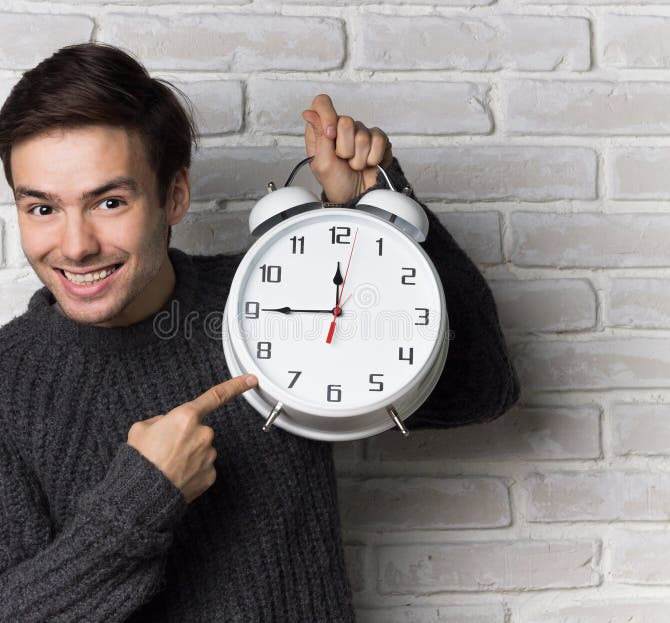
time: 11:45
